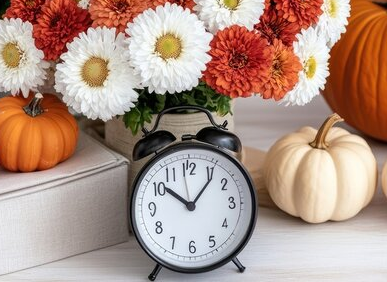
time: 10:06
